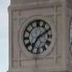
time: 7:10
